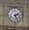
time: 2:25
